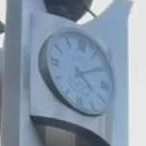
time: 4:09
